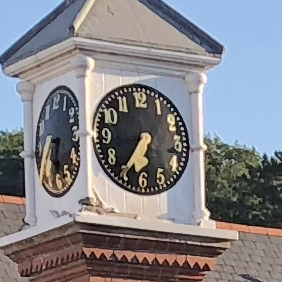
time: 6:35
